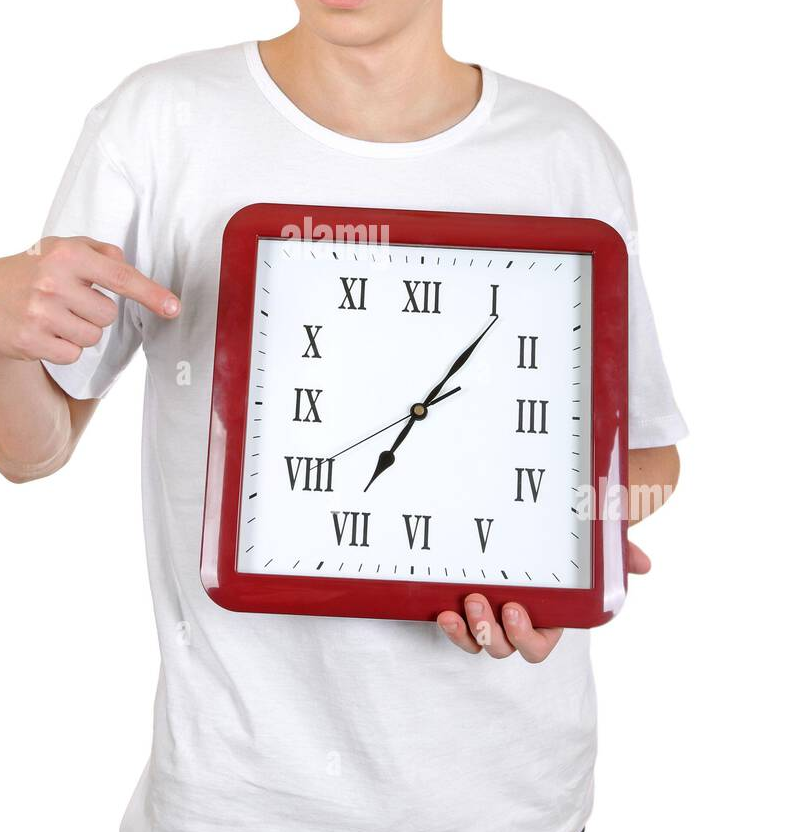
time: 7:06
